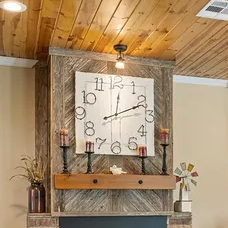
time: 12:11
